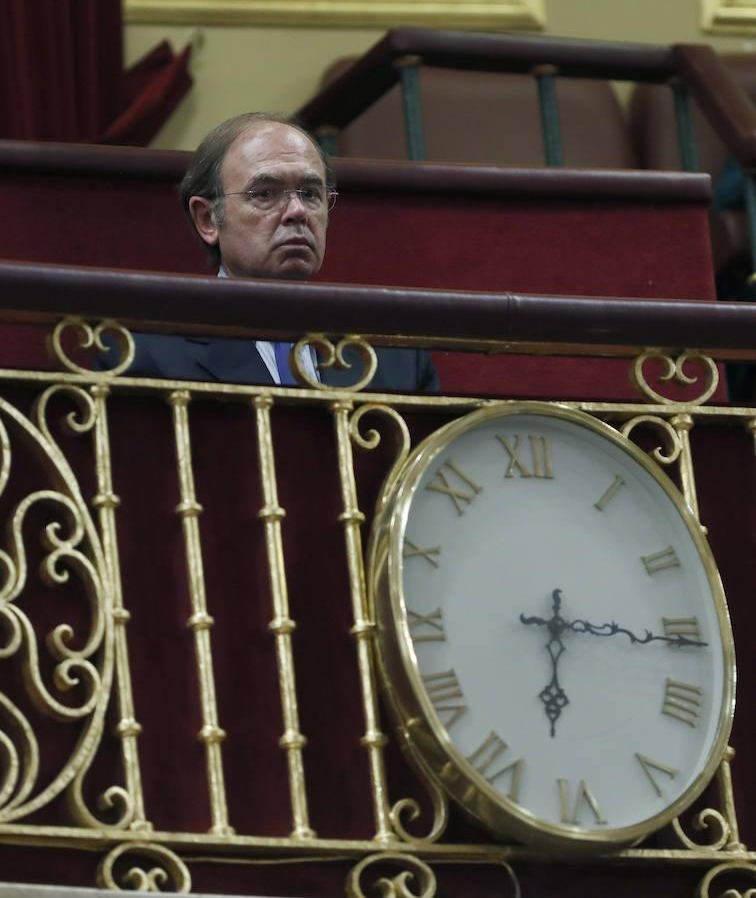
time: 6:15
